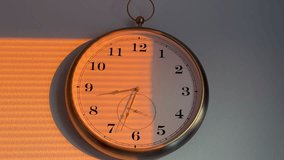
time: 6:43
